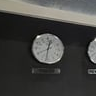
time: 12:31
